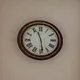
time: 11:28
